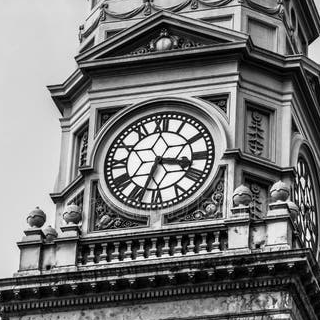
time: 3:33
